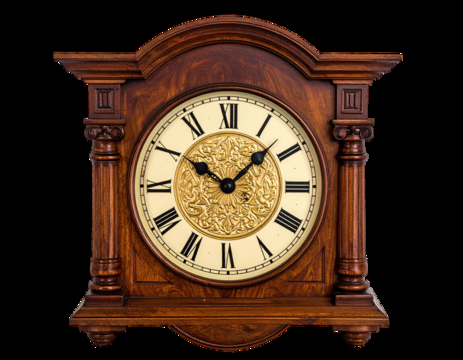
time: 10:07
